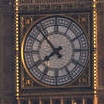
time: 7:52
